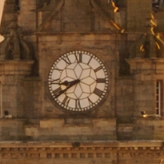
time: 8:38
